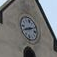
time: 8:11
